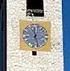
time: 11:28
